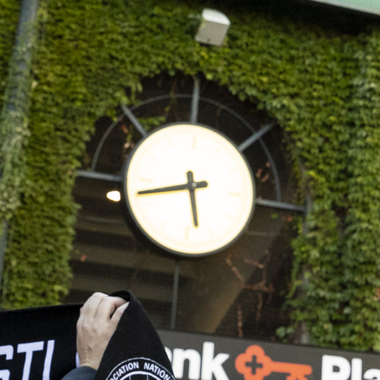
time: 5:42
